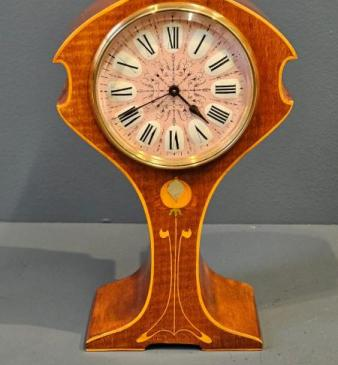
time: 4:40
